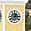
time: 1:14
